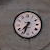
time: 7:33
